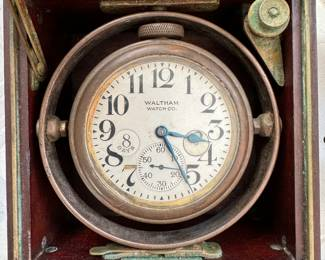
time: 3:25
